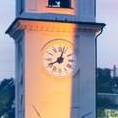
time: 8:03
